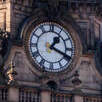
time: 1:18
